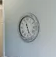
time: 5:26
